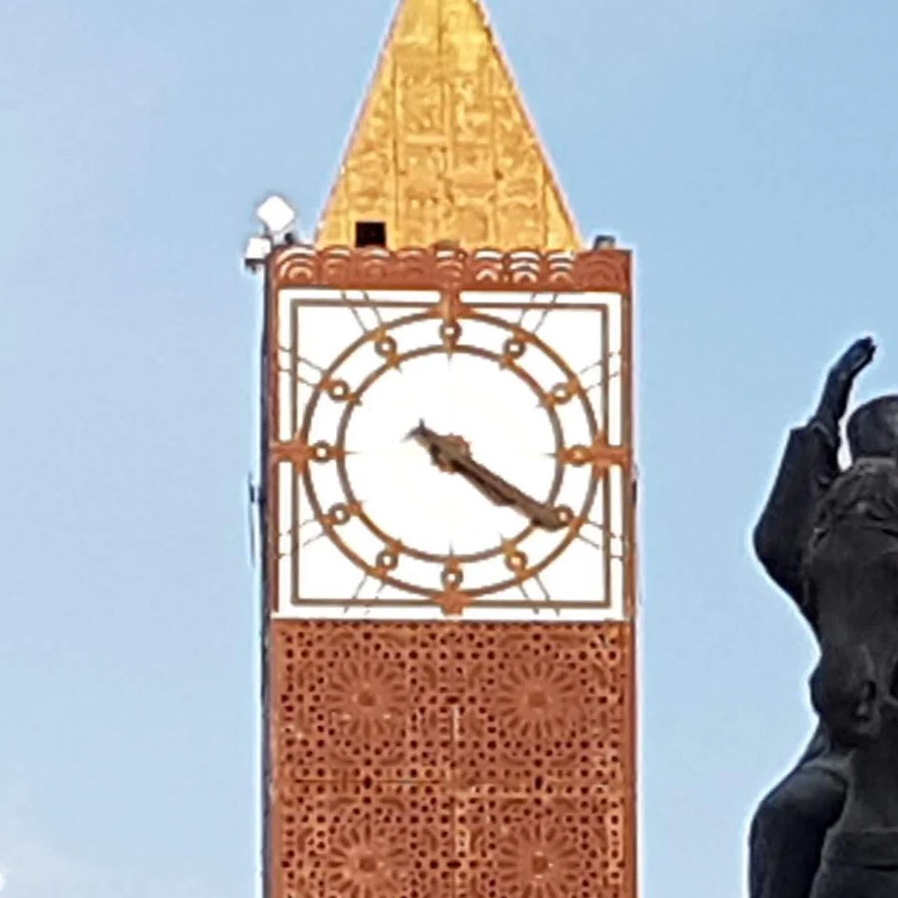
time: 4:20
